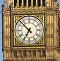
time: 6:52
